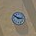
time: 2:50
